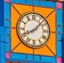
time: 8:07
